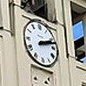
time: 2:12
